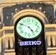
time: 4:49
